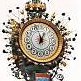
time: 12:57
